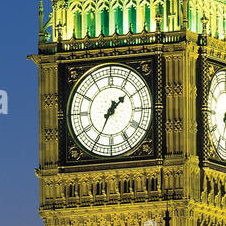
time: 1:34
